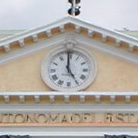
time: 4:59
